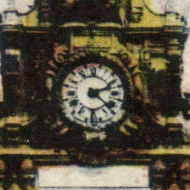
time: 2:22
